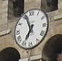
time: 6:56
